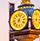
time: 6:03
